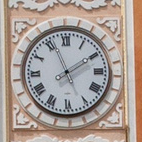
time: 1:56
